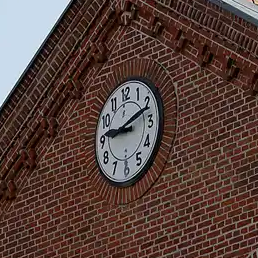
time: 9:11
